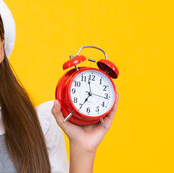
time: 6:58
